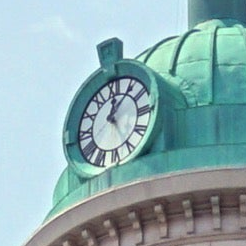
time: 12:06
